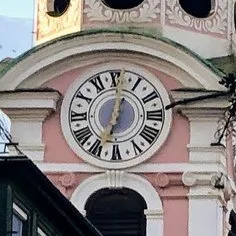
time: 12:33
